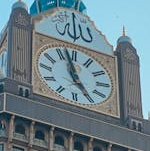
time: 4:57
